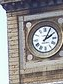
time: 2:04
